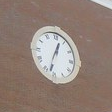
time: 12:32
